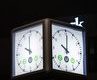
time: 10:00
